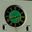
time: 4:42
